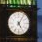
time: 5:05
